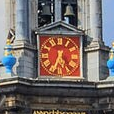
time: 5:34
